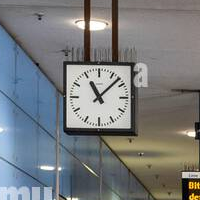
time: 11:07
